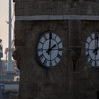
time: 2:00
